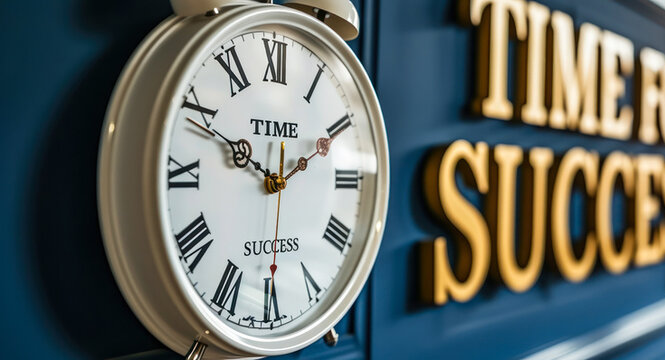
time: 1:49
